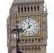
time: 11:39
